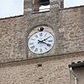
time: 2:18
